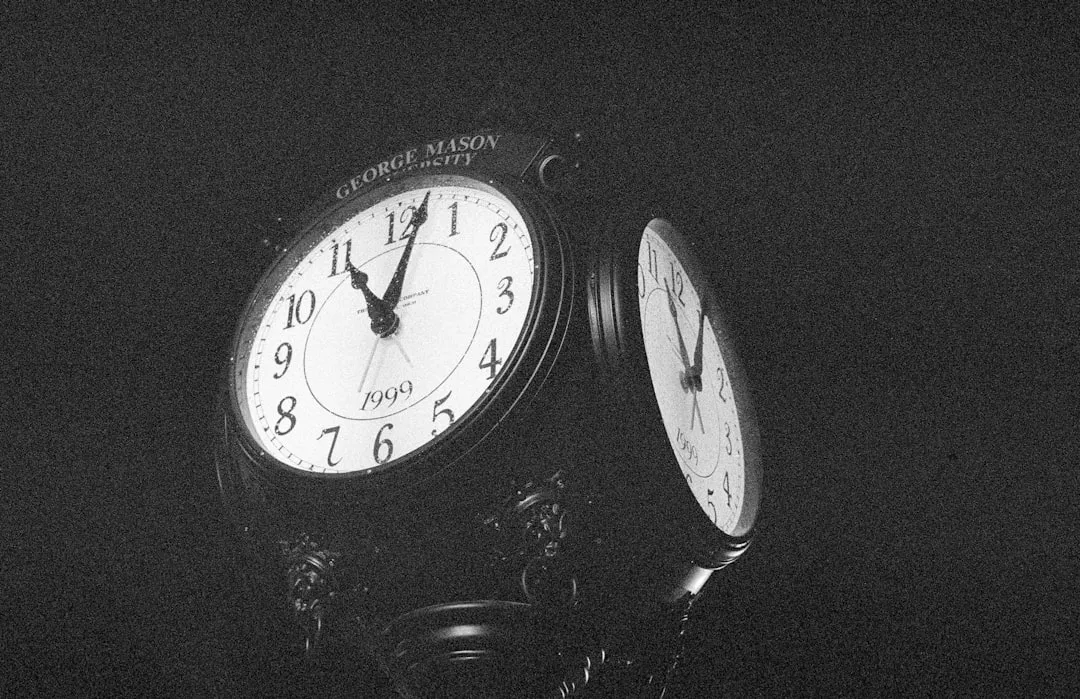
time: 11:02
